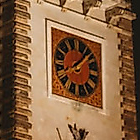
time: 8:07
